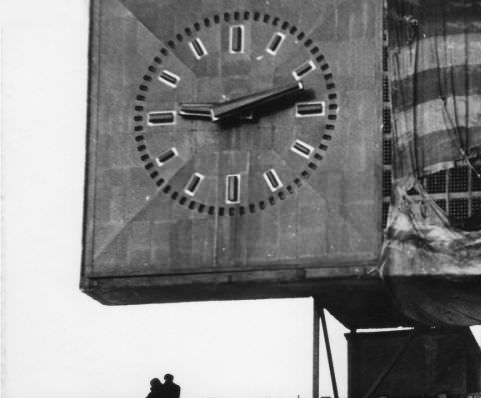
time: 9:12
